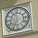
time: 11:33
